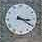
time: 3:20
